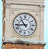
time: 10:44
